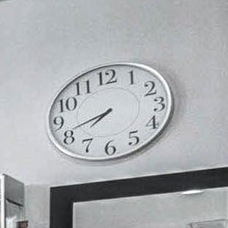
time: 7:41
